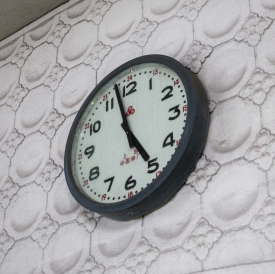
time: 4:57
